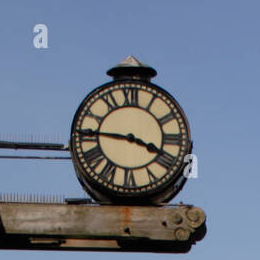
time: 3:45
